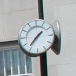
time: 1:36
